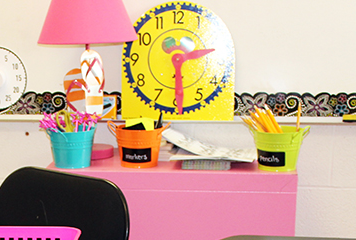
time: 2:29
